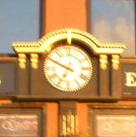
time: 6:49
